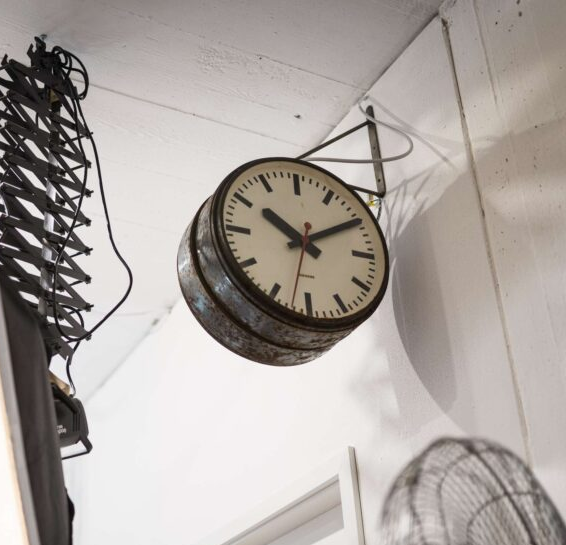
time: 10:10
